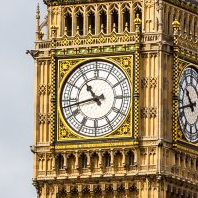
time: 10:42
